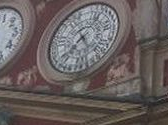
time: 7:24
